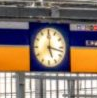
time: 5:17
